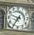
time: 9:35
